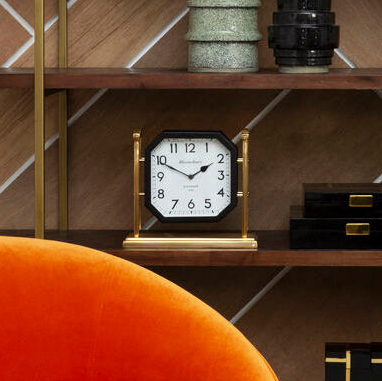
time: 1:49
